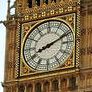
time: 8:11
